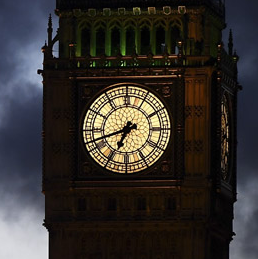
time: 6:41
